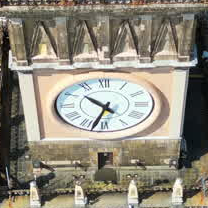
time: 10:32
